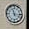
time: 11:16
